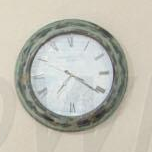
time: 7:20
